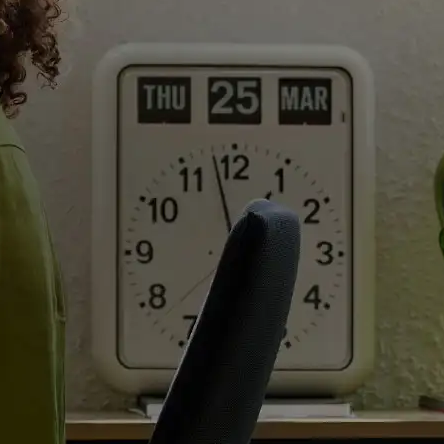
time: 6:34
